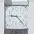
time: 9:22
